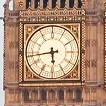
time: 5:43
